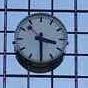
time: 3:30
